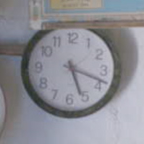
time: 5:18
